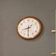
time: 8:30
